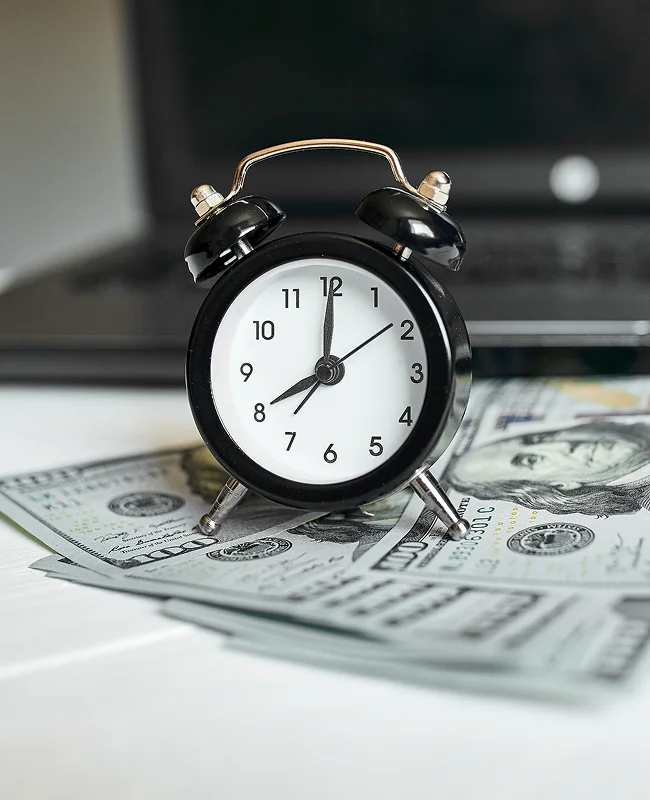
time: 8:01
